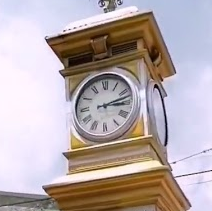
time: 3:12
